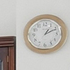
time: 1:10
